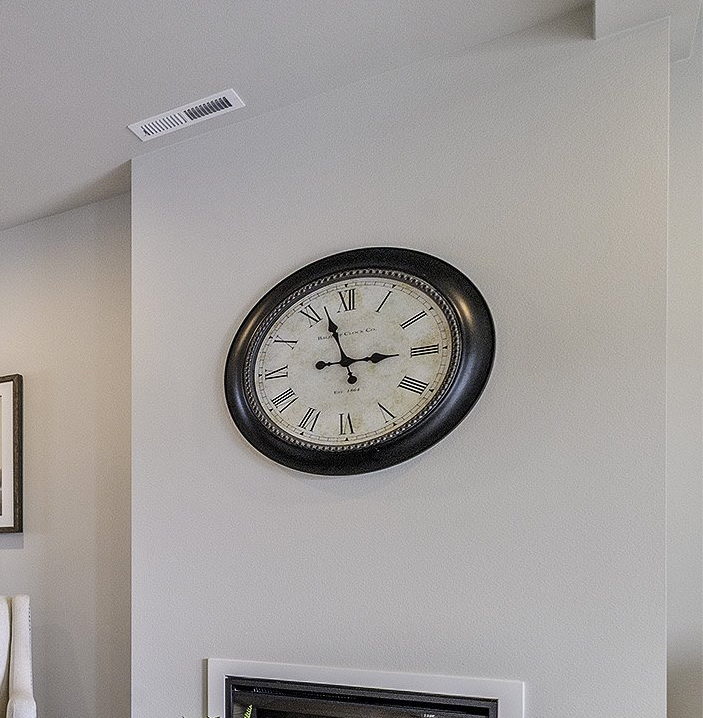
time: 2:57
